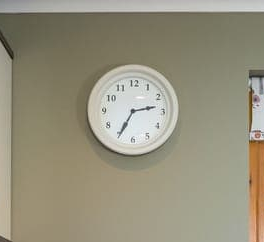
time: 2:34
